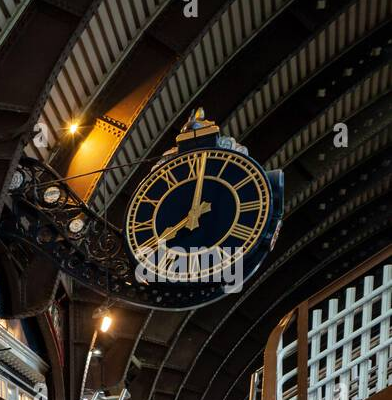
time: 8:01
